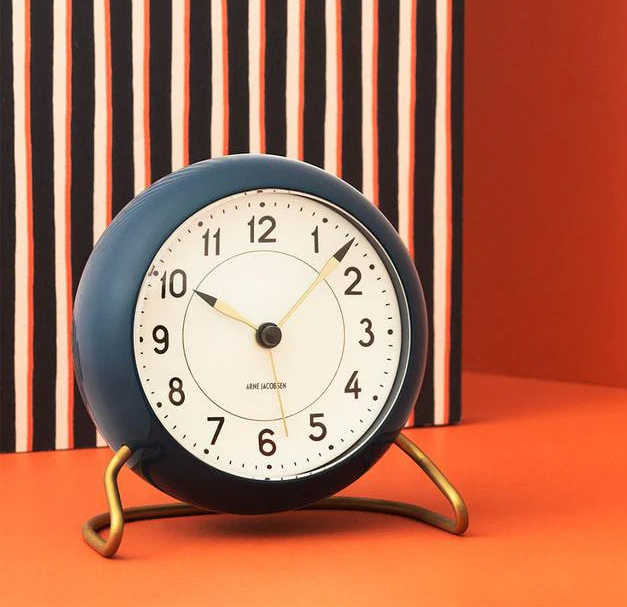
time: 10:07
